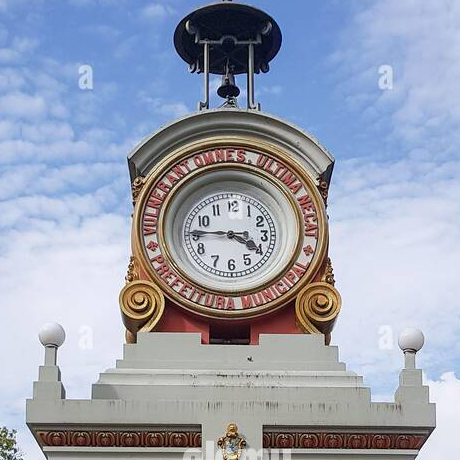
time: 3:44
